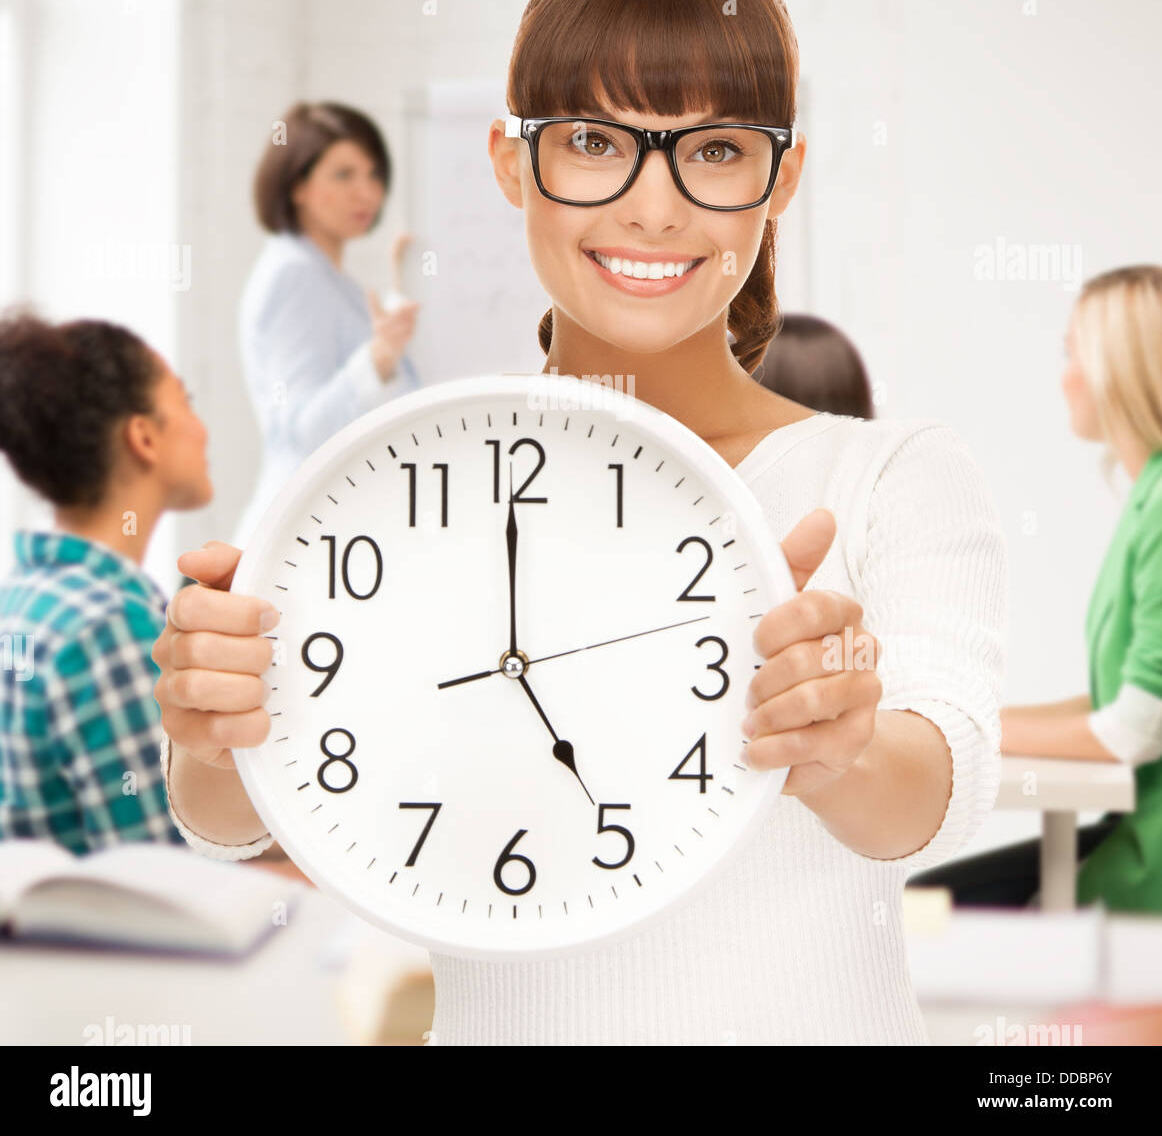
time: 4:59
